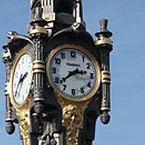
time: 2:38
